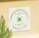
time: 7:23
